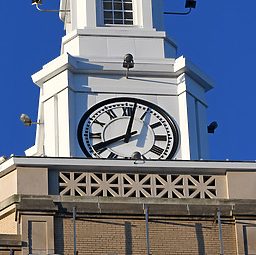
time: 8:01
